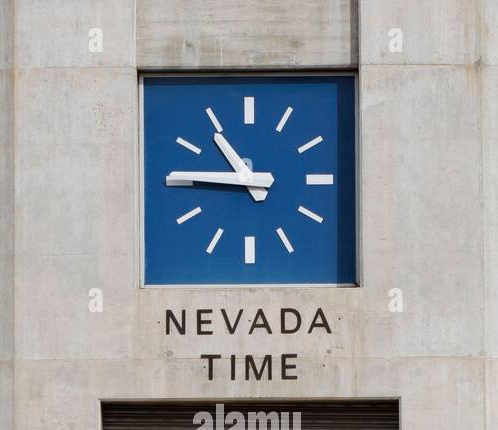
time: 10:45
